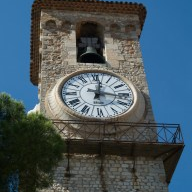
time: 12:16
